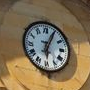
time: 6:04
